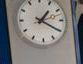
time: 1:20
